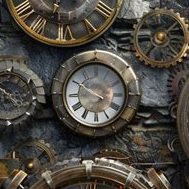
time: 3:50
